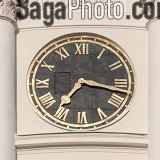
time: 7:17
